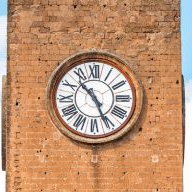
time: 10:26
